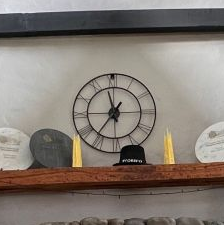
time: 11:36
